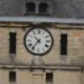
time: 10:36
